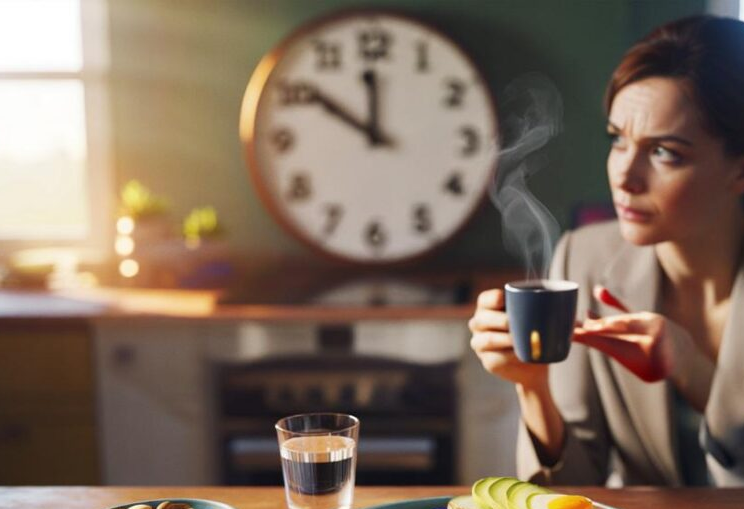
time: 11:50
